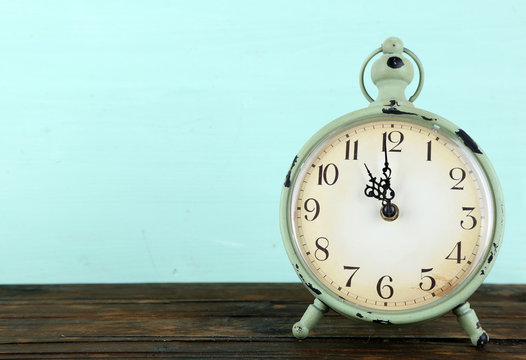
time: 10:59
